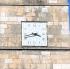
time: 3:42
